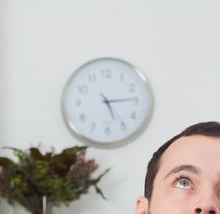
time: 5:14
